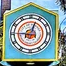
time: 9:03
